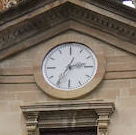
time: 2:35
